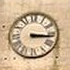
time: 3:16
